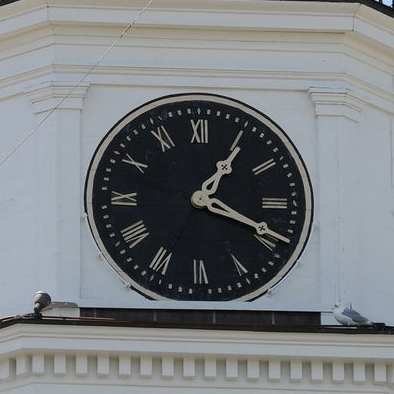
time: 1:18
